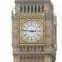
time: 2:46
